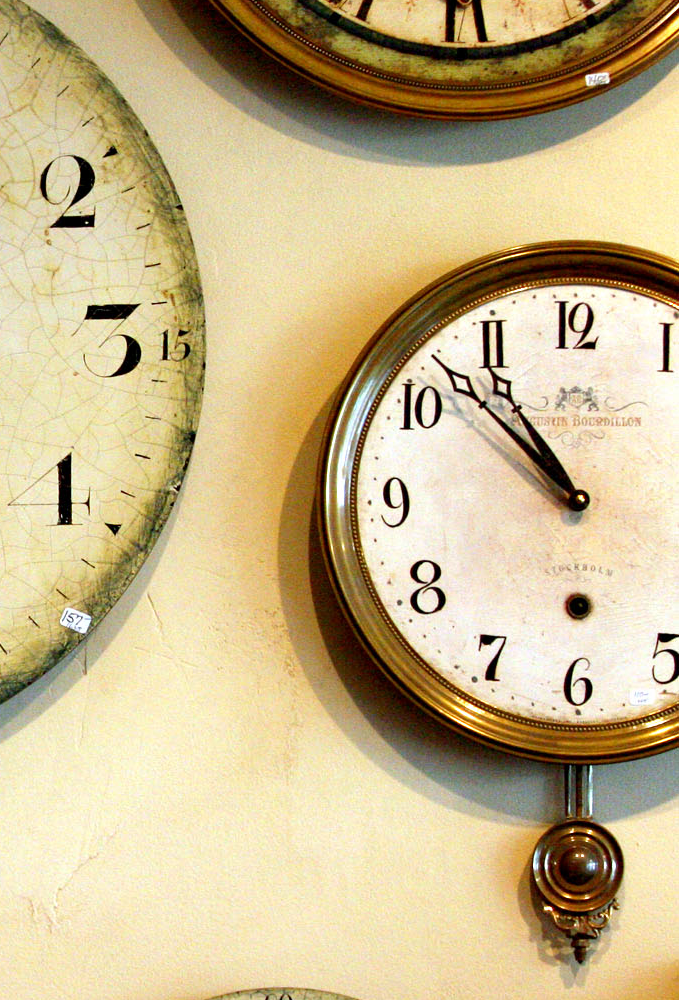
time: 10:52
